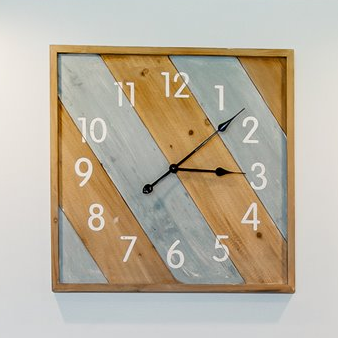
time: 3:08
